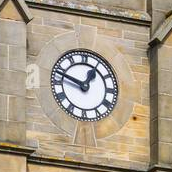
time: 12:48
